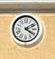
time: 4:10
